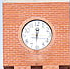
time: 12:30
